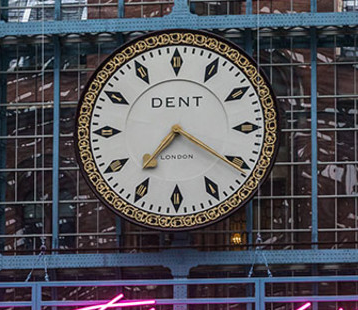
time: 7:20
